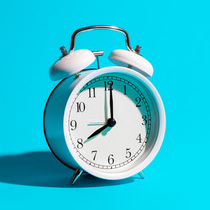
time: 8:00
